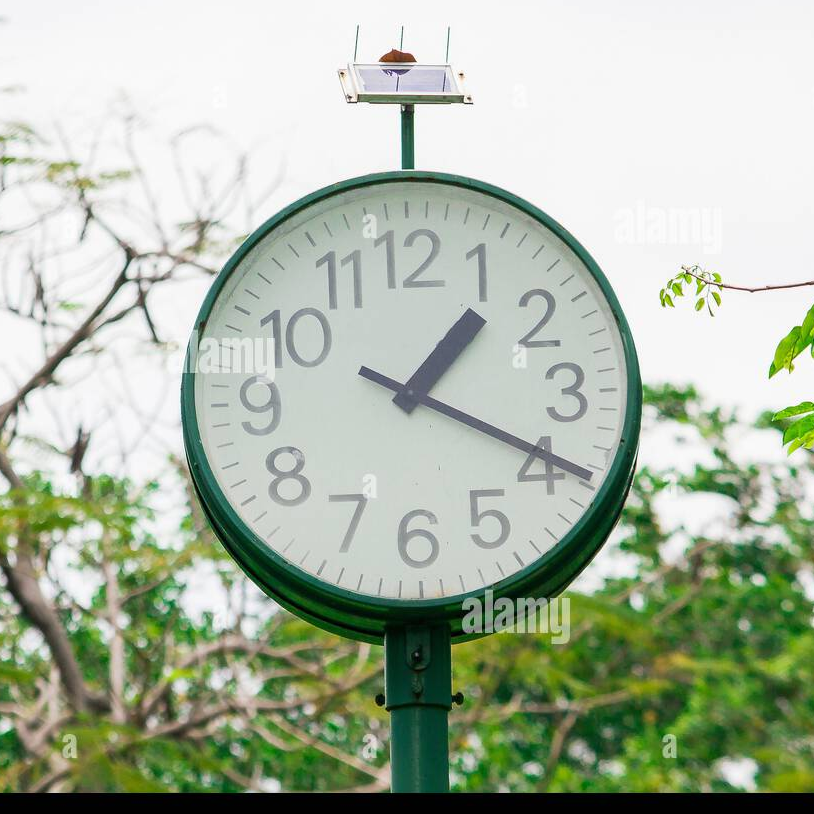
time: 1:19
